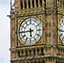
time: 5:44
